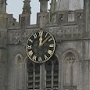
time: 12:07
